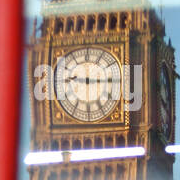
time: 9:15
